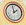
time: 1:59
